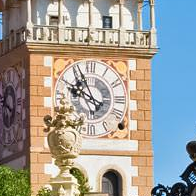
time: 9:55
